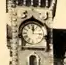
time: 12:01
